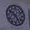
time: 4:50
